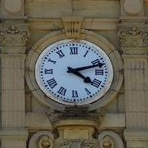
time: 4:12
